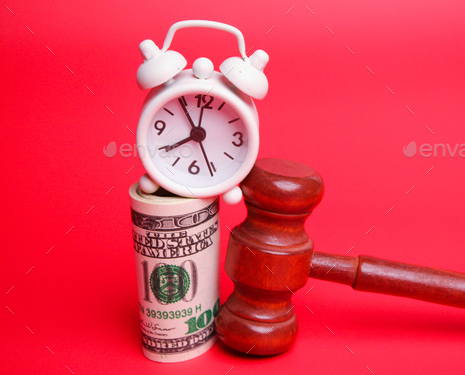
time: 7:54
